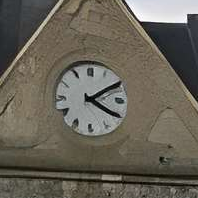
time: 4:09
